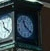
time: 11:21
